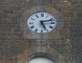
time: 5:12
